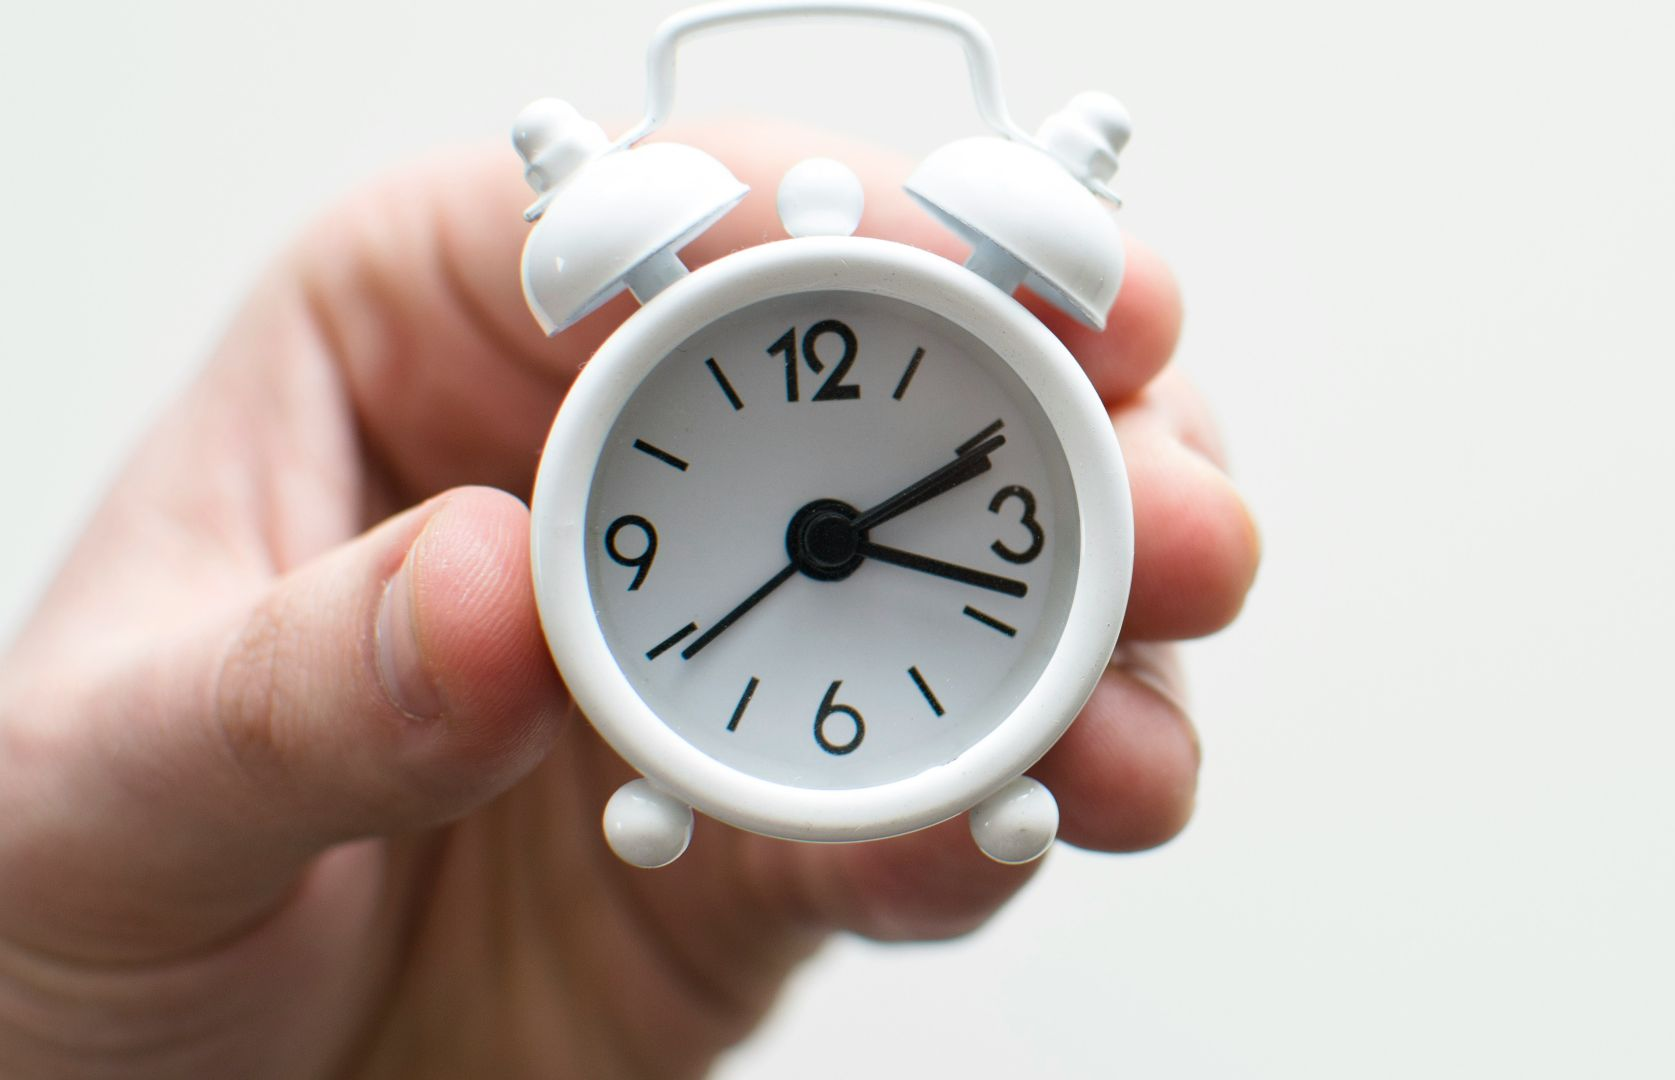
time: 2:18
